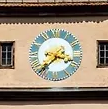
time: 3:37
